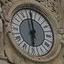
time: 5:59
